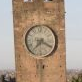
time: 7:19
